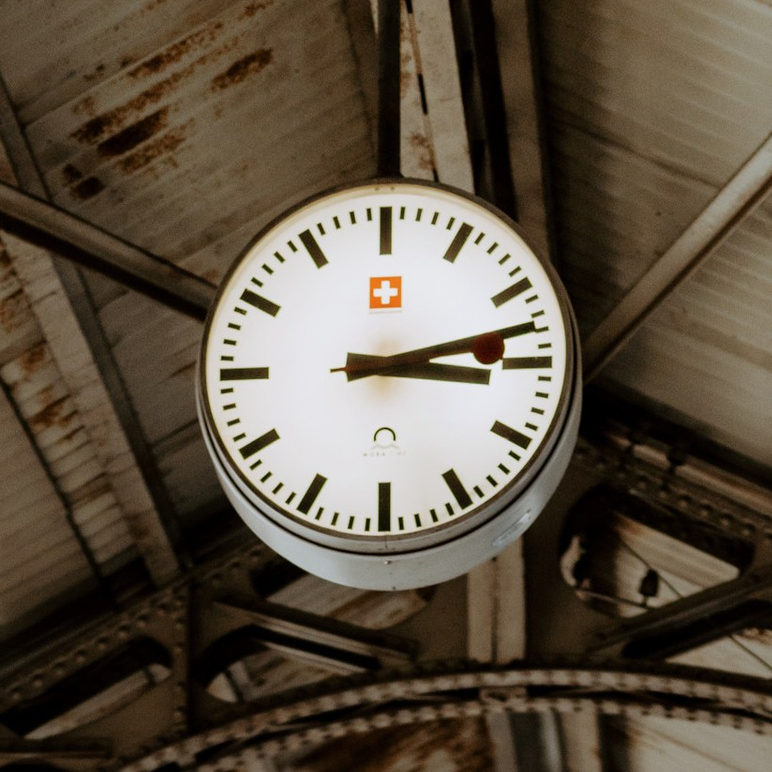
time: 3:12
